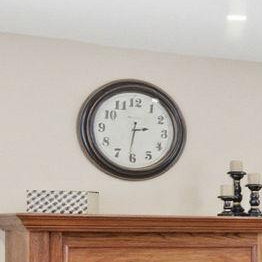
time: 2:31
